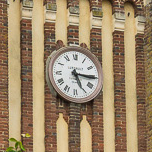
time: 5:15
